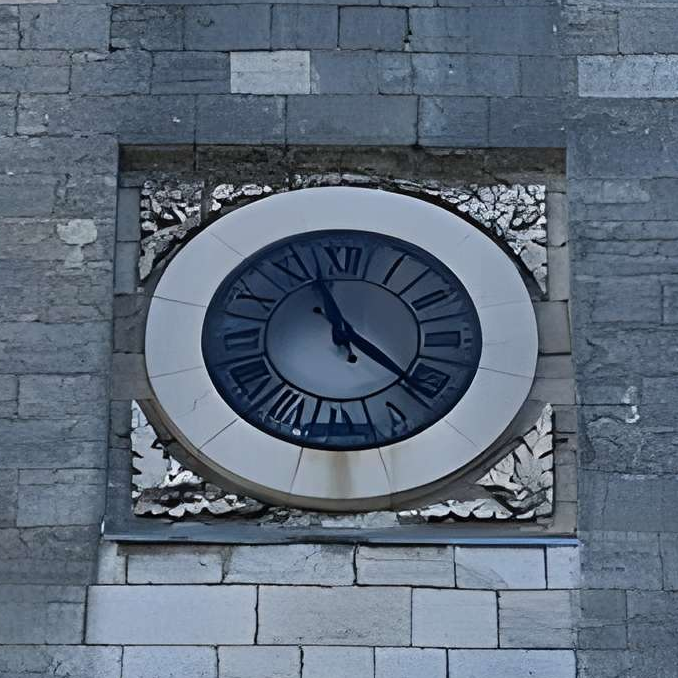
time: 11:21
